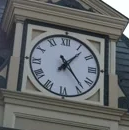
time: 1:23
